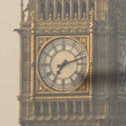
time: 7:12
